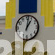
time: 1:01
